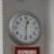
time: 12:29
